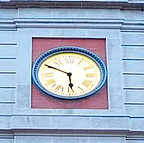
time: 5:49
